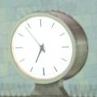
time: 6:53
